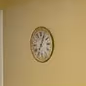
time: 7:04
